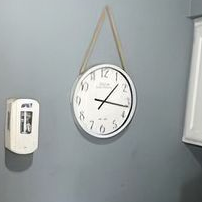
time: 1:16
